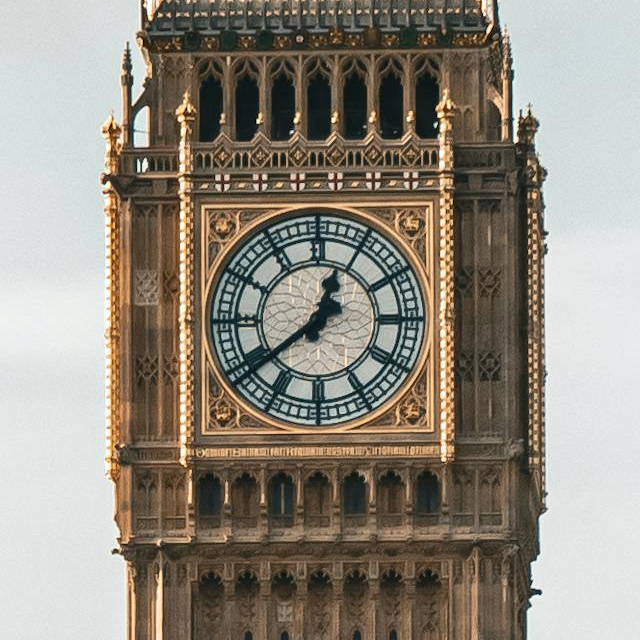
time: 12:38
